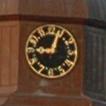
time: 9:03
